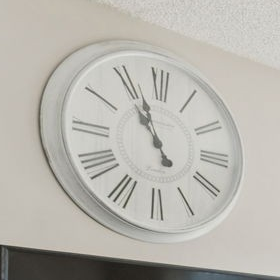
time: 10:56
